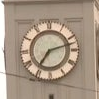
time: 7:12
